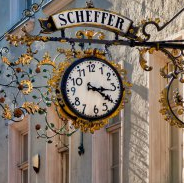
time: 3:21
